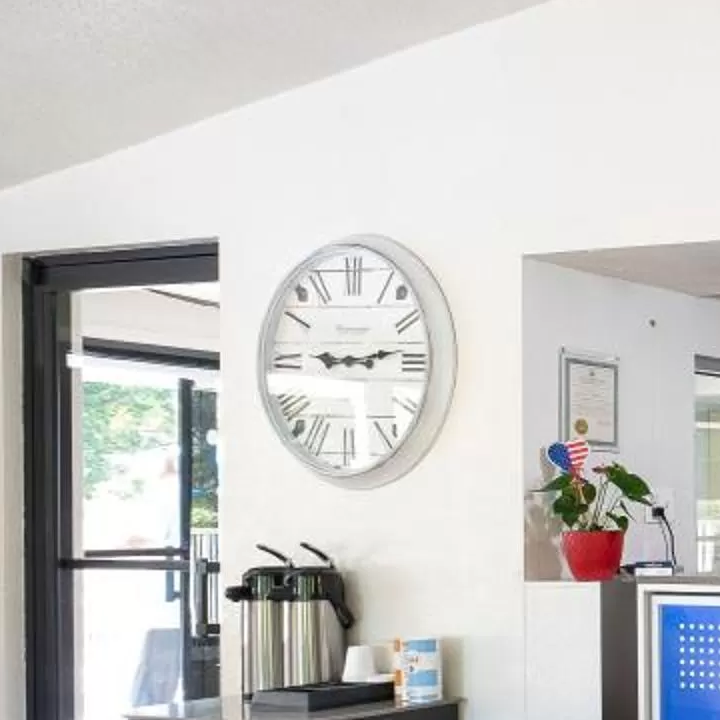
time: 9:13
